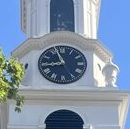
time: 8:56
